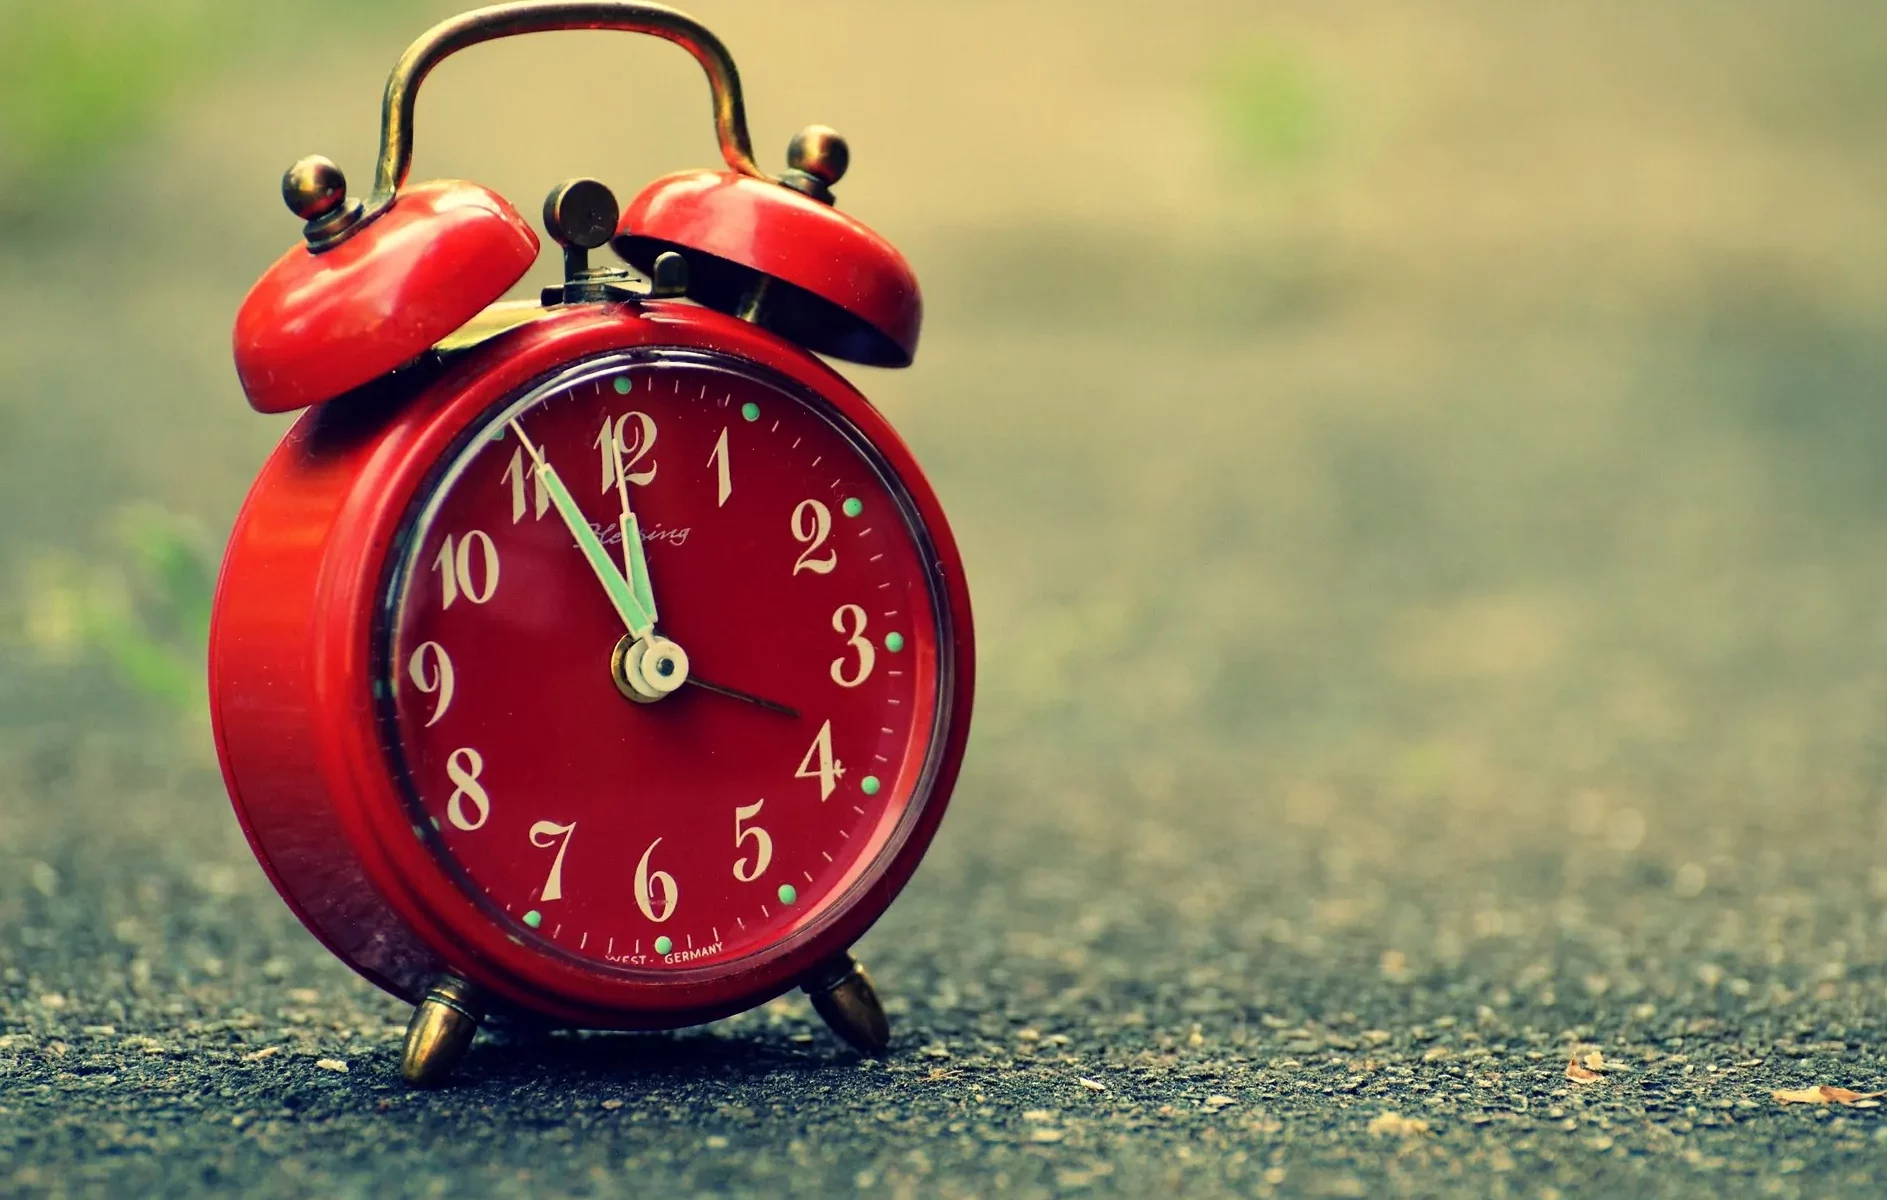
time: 11:55
